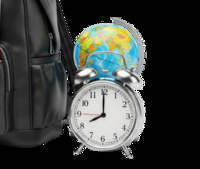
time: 7:59
